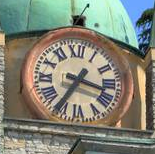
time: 3:35
